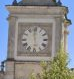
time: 5:59
